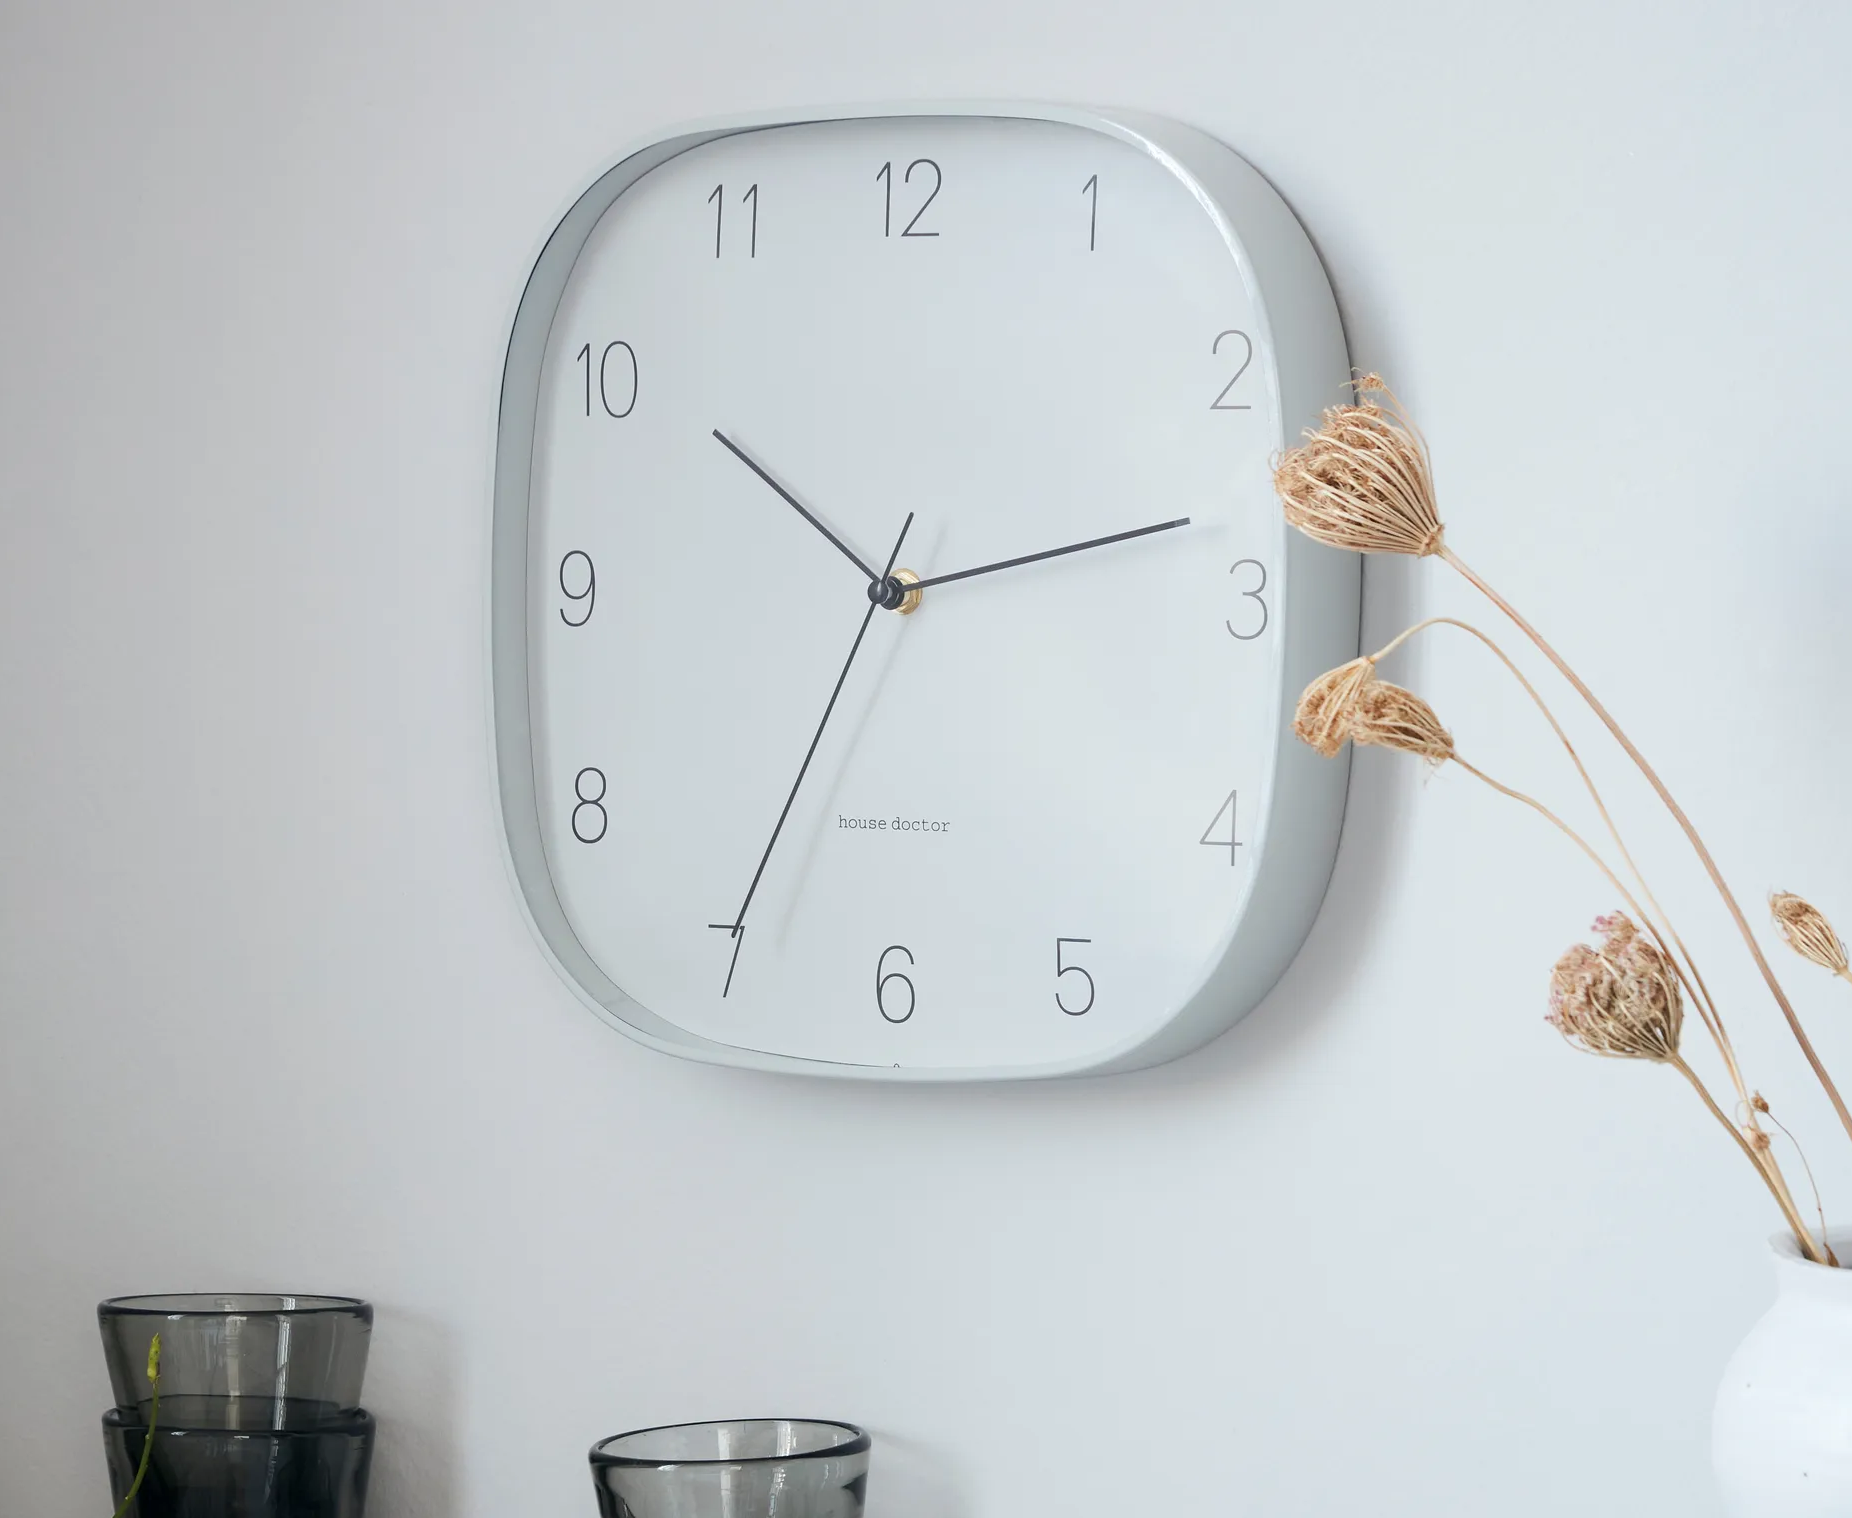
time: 2:35
